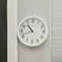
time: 10:41
